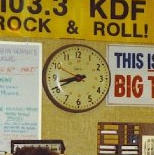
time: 8:41
